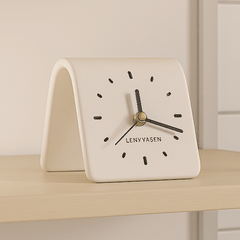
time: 12:18
